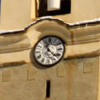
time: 11:22
